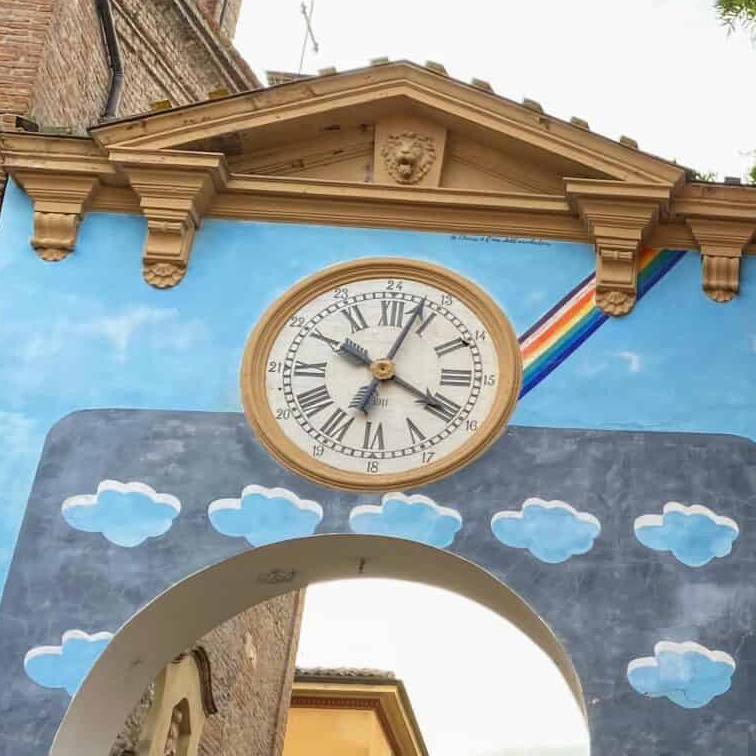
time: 4:03
